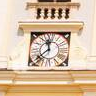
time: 11:37
